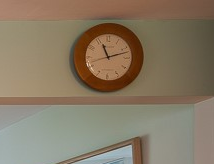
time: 11:12
